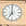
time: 7:00
